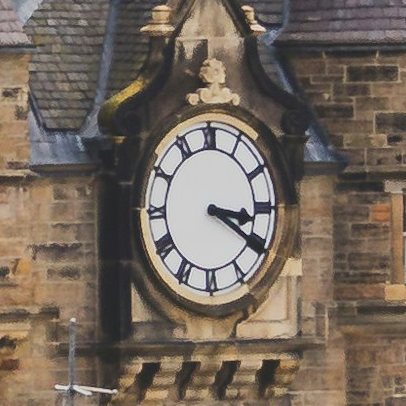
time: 3:20
